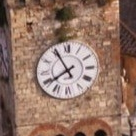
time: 7:54
